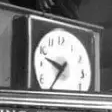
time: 9:35
